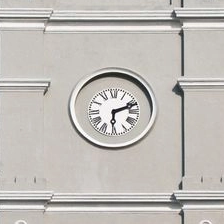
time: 6:11
